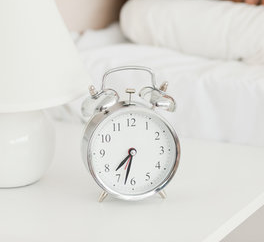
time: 7:32
